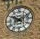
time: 10:10
